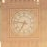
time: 6:46
